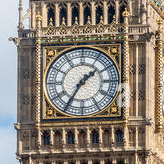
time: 1:35
